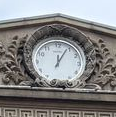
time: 12:04
